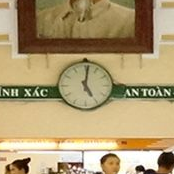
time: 5:01
